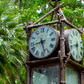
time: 8:27
